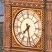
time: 7:28
